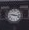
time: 9:17
